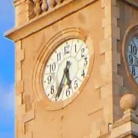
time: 5:35
